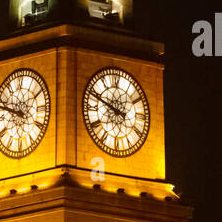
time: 9:48
